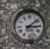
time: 3:08
